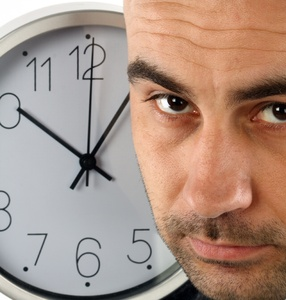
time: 10:06
